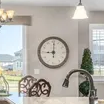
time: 9:00
